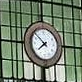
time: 7:51
